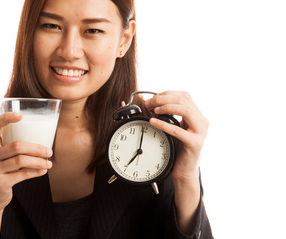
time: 7:00
